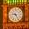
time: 9:25
